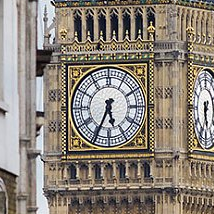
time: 5:34
